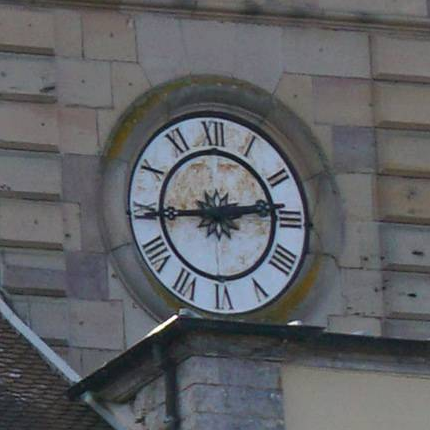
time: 2:44
